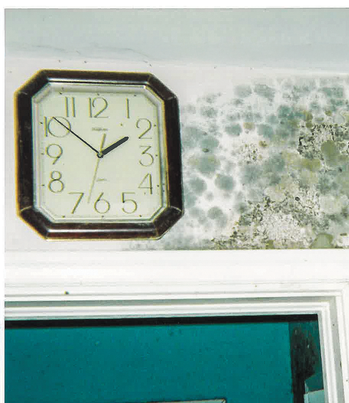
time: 1:51
